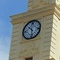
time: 10:28
